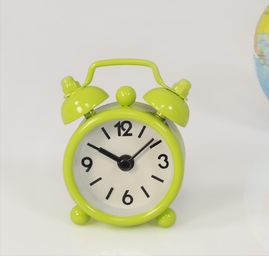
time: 10:08
